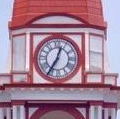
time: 12:35
